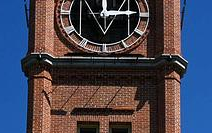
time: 12:14
